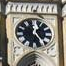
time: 12:23
